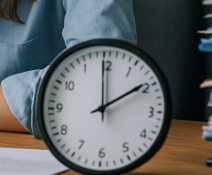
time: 1:59
